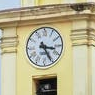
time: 3:25
